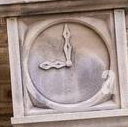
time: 8:59
